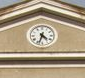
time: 4:33
